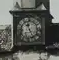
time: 11:24
